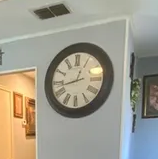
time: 12:42
